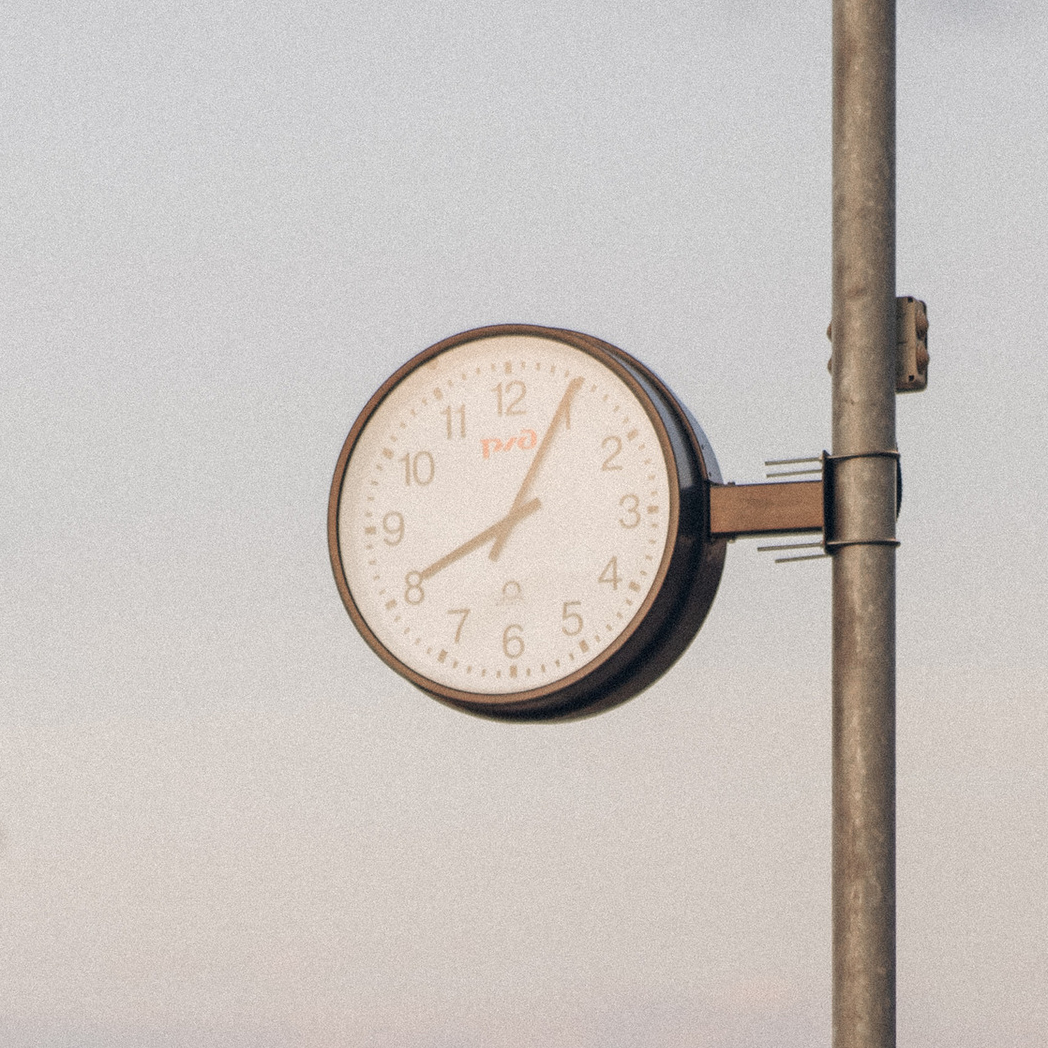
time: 8:04
